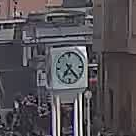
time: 7:23
